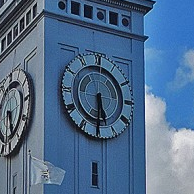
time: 5:30
